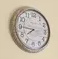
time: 7:45
